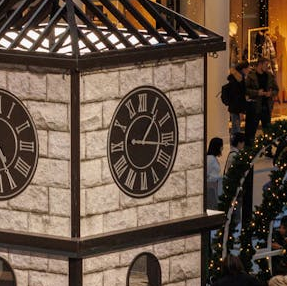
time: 1:16
